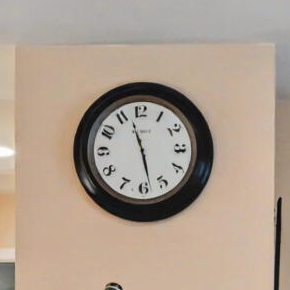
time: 11:28
